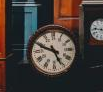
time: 4:48
